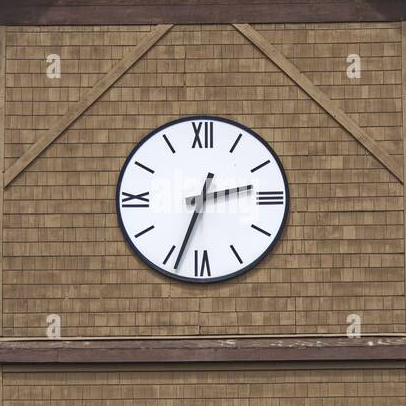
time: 2:33
